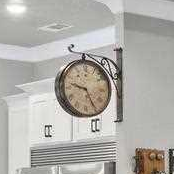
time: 9:25
